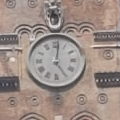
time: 5:01
